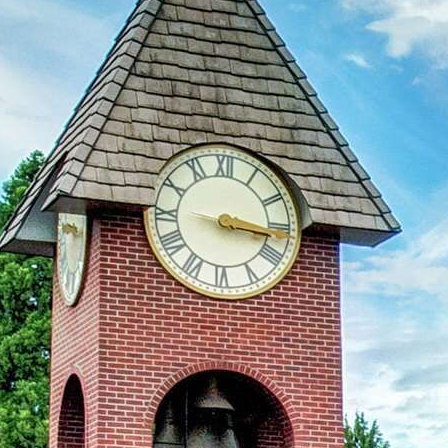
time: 3:16
